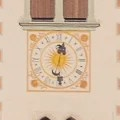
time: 12:32
